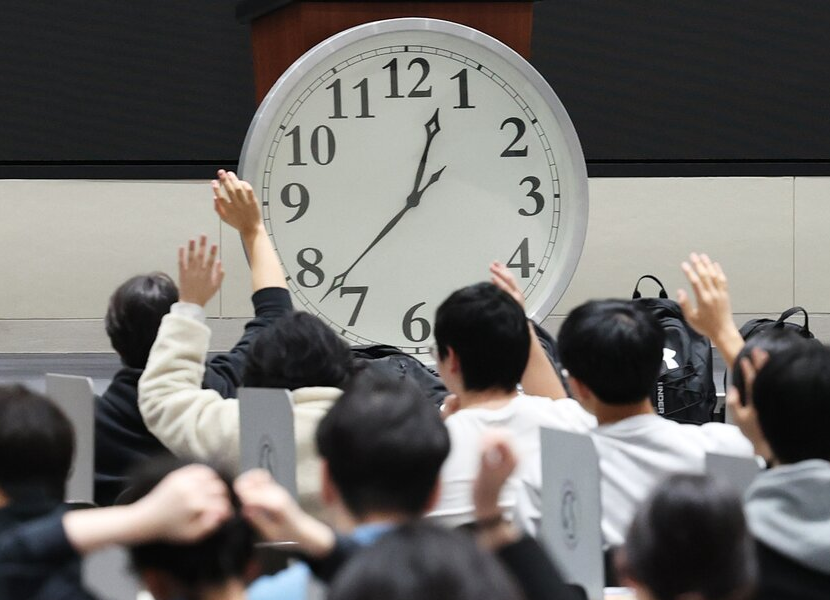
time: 12:37
